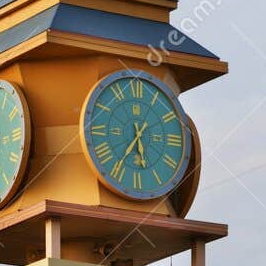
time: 5:35
